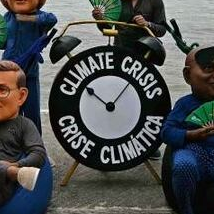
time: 10:07
